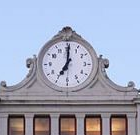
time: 7:00
